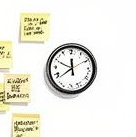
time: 11:49
